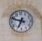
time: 6:48
